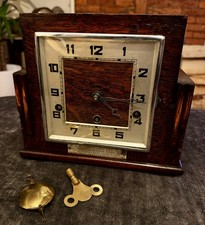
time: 4:16
